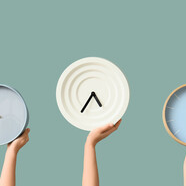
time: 4:35
